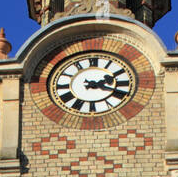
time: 2:18
